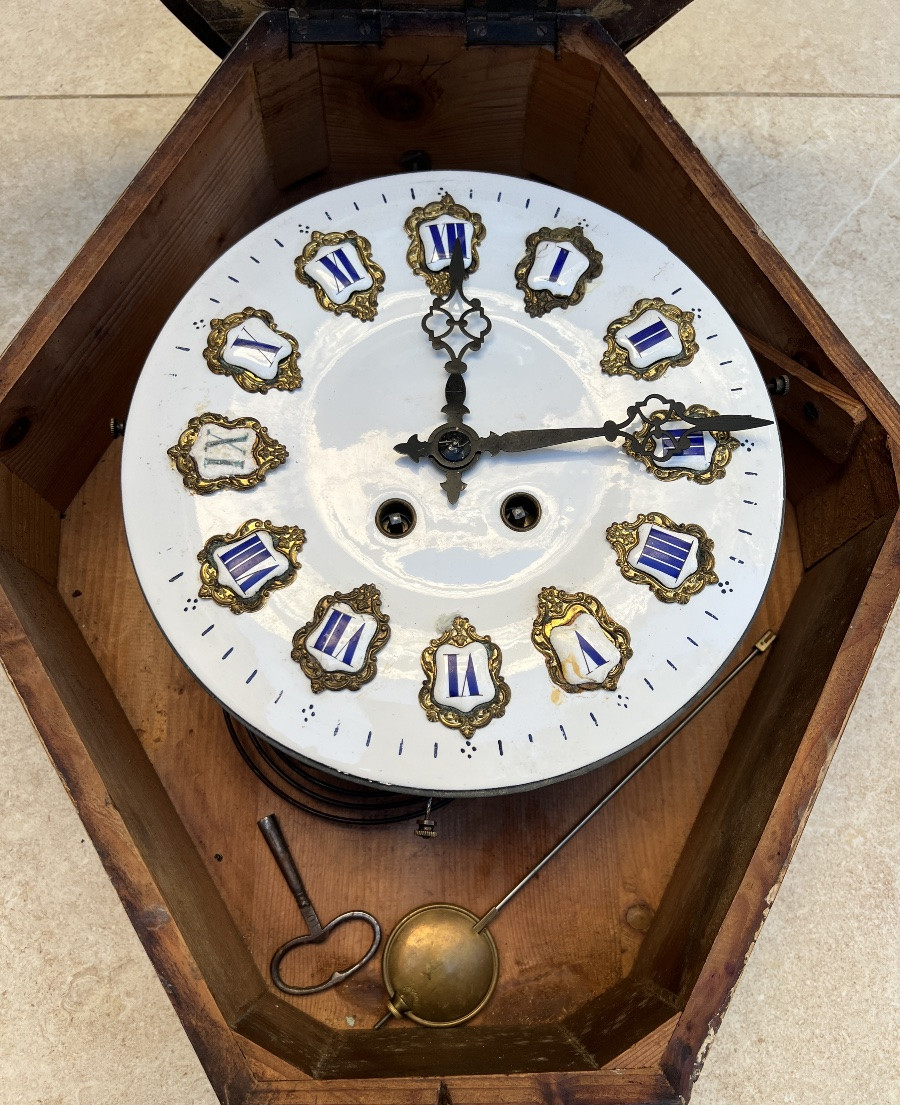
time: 12:13
